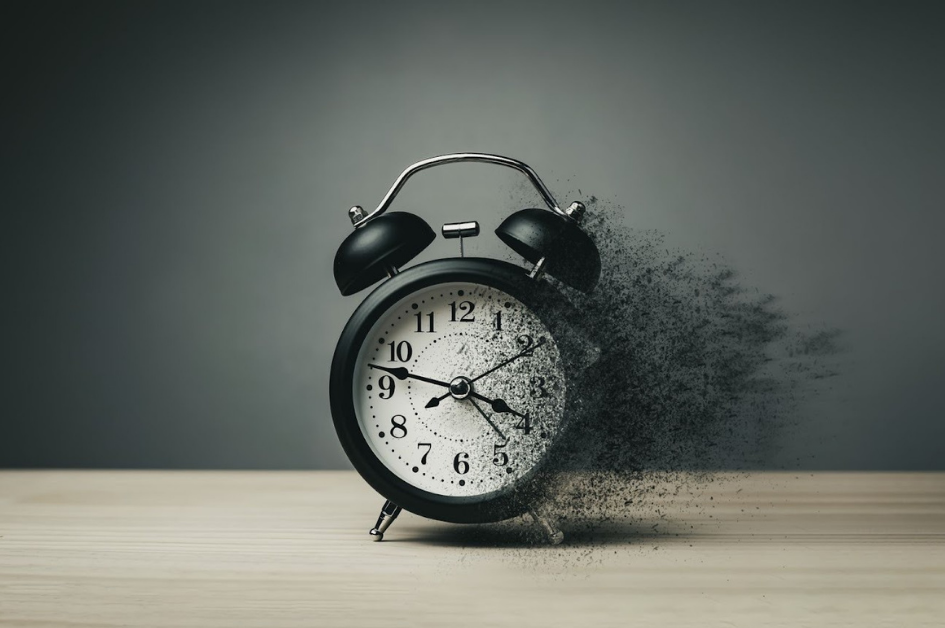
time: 3:47
